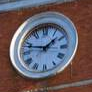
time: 1:47
